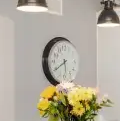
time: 5:40
